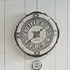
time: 1:37
